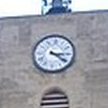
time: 3:20
